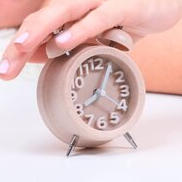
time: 8:04
